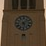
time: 5:08
